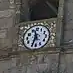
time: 11:33
